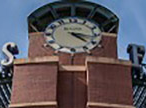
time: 4:16
